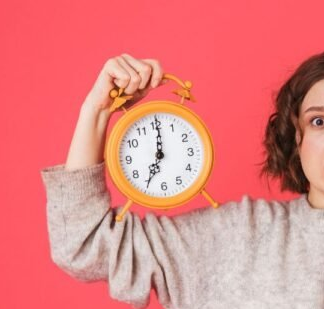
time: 7:00
